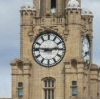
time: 2:46
